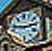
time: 2:46
